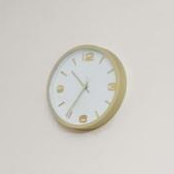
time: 10:35
